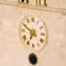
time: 6:49
